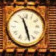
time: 11:28
